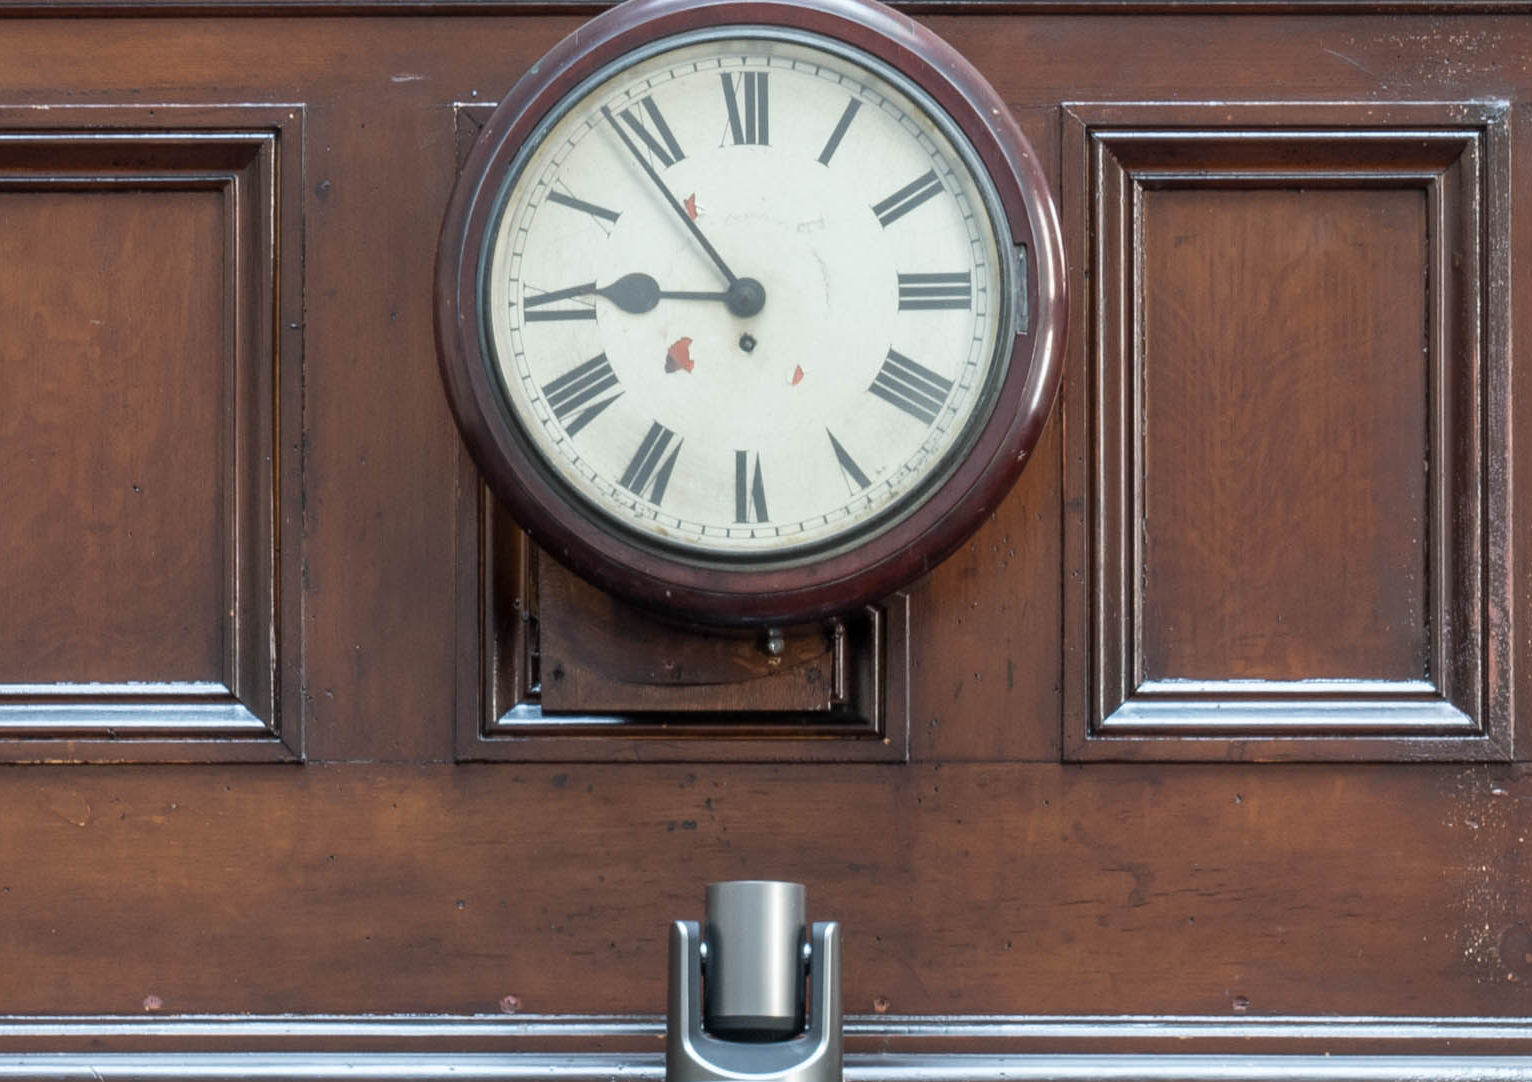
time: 8:53
